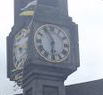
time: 5:55
